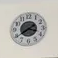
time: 3:39
